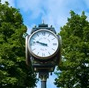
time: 9:47
